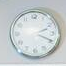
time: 2:19
